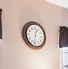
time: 12:31
